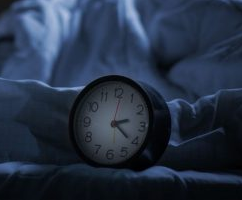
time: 2:21
